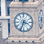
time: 3:33
